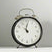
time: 11:02
